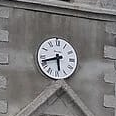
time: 5:42
